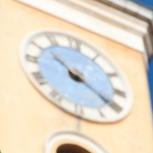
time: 10:20
